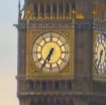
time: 6:35
